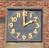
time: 2:00
